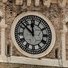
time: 11:52
